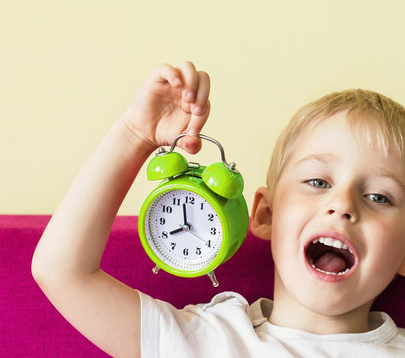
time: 7:58
